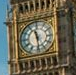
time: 11:28
